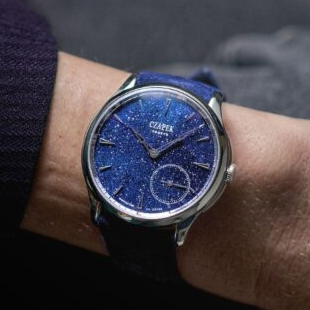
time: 10:07
